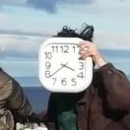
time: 3:38
